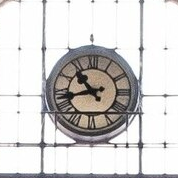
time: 10:42
